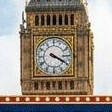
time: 4:19
